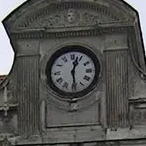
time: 12:28
